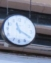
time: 11:19
